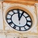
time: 12:04
